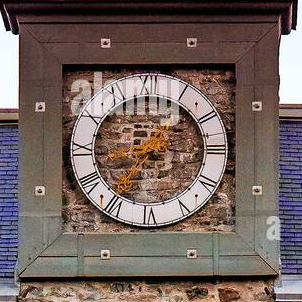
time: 7:15
